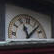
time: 11:07
